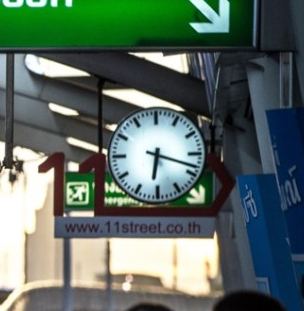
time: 6:18
